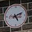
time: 5:11
